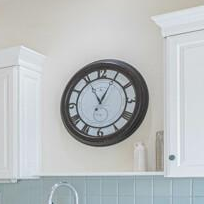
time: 12:55
